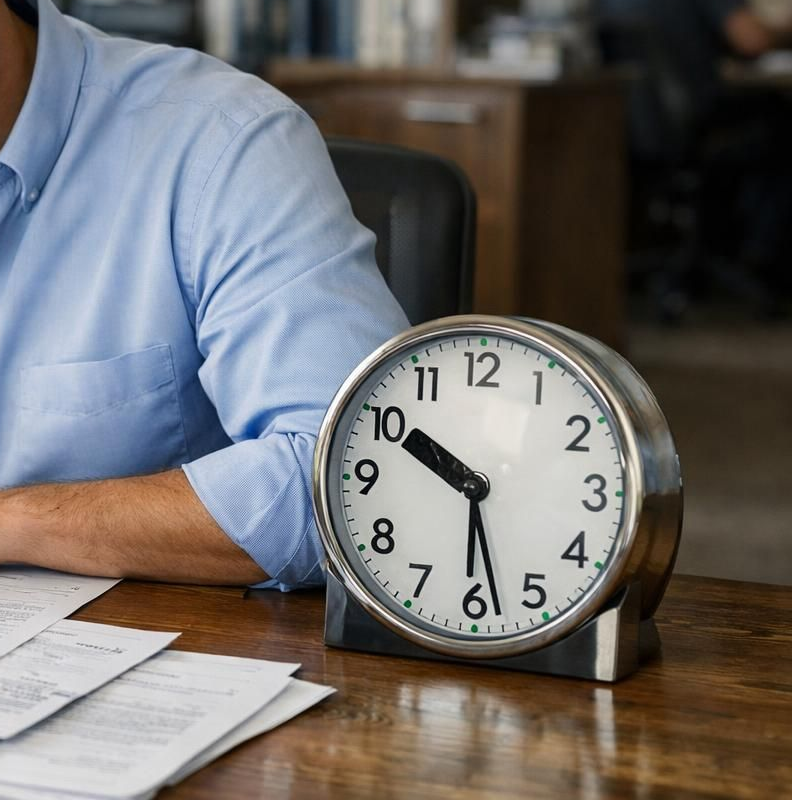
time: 10:28
